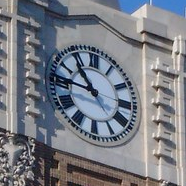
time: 10:45
